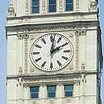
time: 2:01
